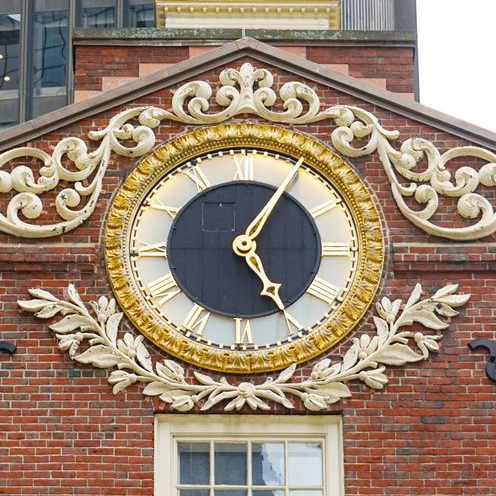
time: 5:05
